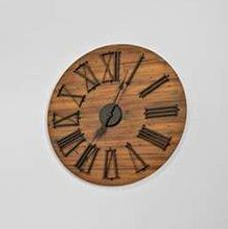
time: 7:04
